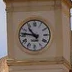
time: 10:46
